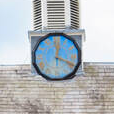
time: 12:19
